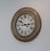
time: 10:14
